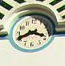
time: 3:40
